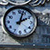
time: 2:03
